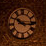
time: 10:15
